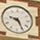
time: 9:25
